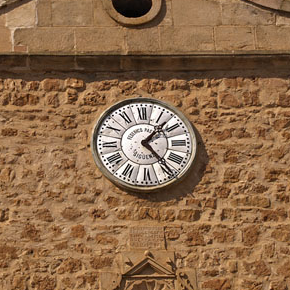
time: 1:23
